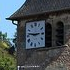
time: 2:46
